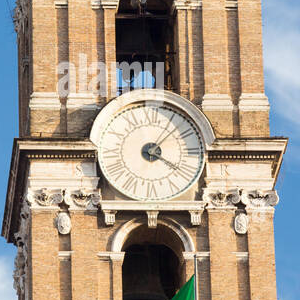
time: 4:07
